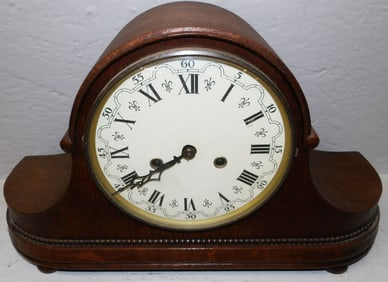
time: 7:39
